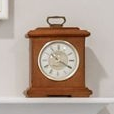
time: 10:20
